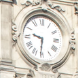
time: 9:31
